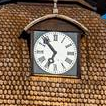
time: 6:53
